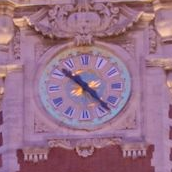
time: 10:22
